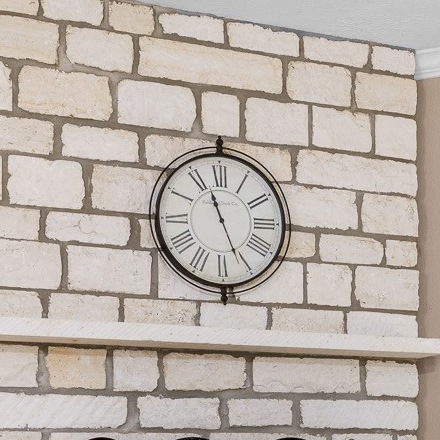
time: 11:26
